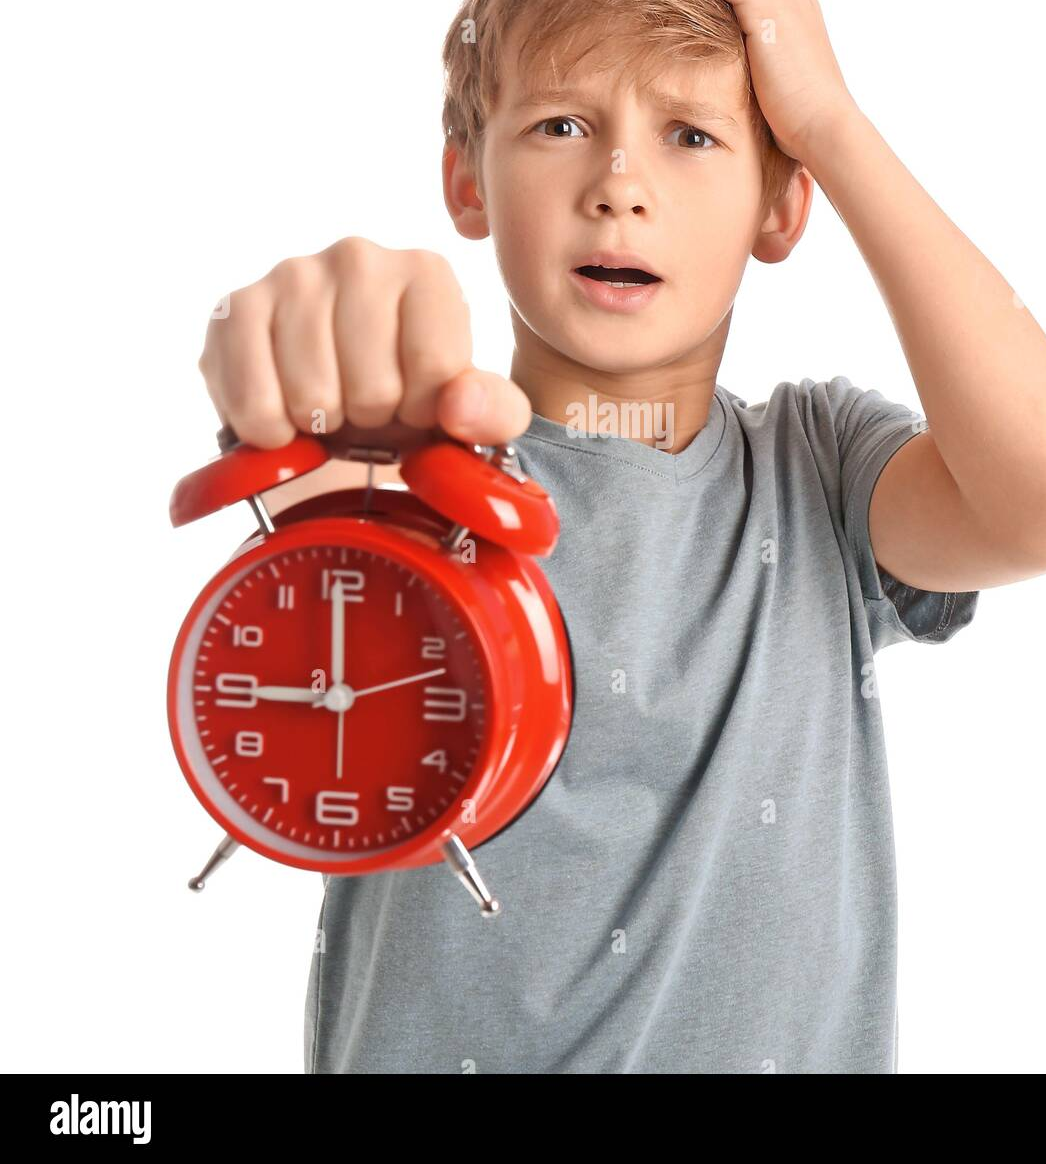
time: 8:59
